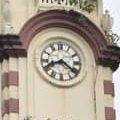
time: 8:21
